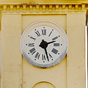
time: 2:27
